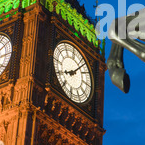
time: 8:06
